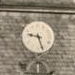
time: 9:27
